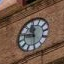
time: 11:48
